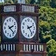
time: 2:23
